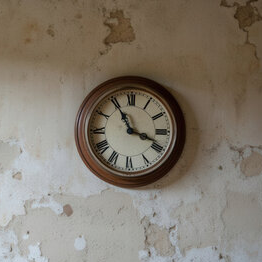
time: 3:54
